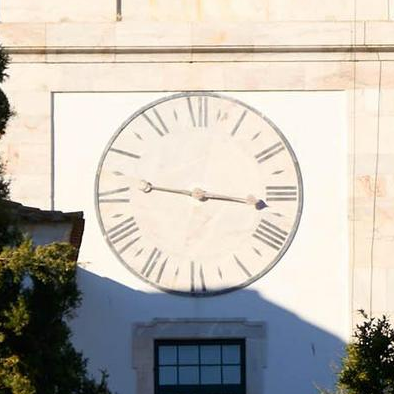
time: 9:16
